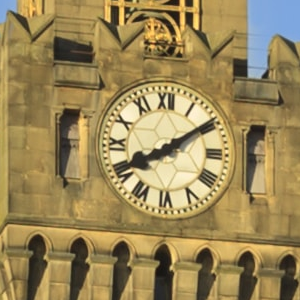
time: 8:09
